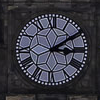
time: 3:09
